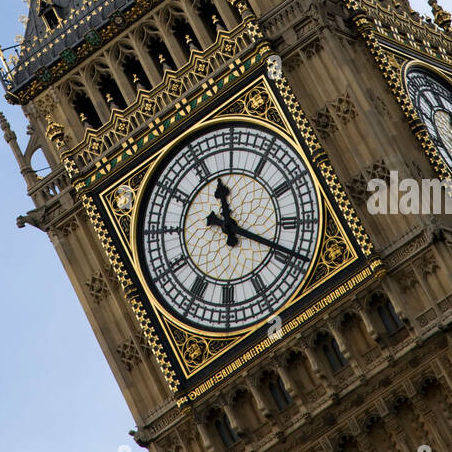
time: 11:18
